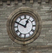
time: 12:49
